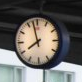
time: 7:57
